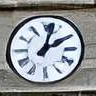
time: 2:02
